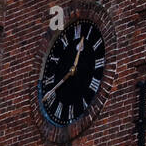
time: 12:40
